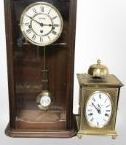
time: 11:51
